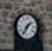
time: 1:35
